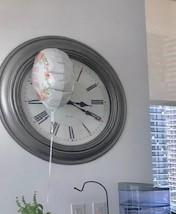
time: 3:19
